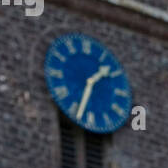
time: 1:33
